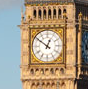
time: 12:51
